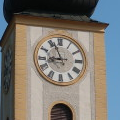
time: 8:56
